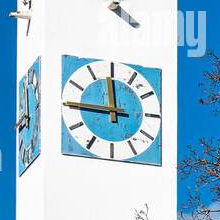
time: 11:45
